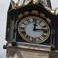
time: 12:13
